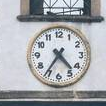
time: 4:35
